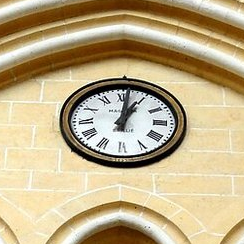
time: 1:01
